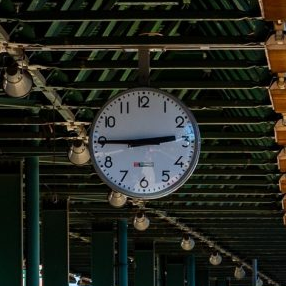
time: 2:45
